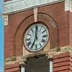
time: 7:00
